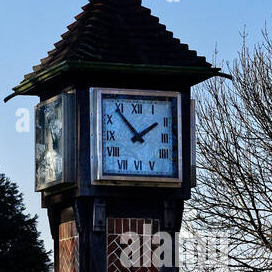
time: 1:53
